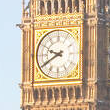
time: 9:40
